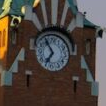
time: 6:54
